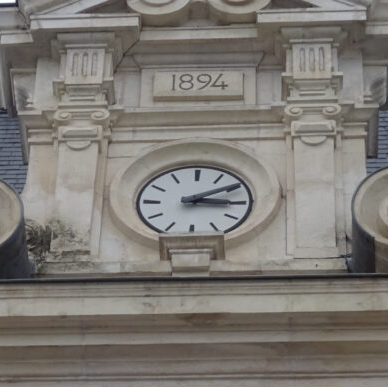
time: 3:09
